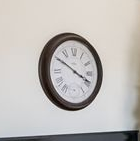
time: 3:50
